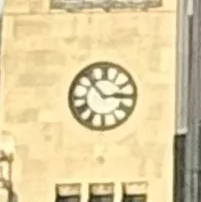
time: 2:53
